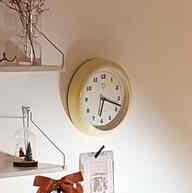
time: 6:18
